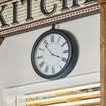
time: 3:53
